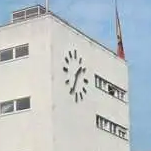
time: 1:34
